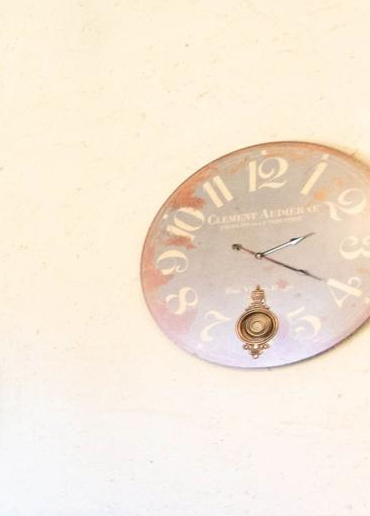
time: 2:20
